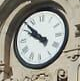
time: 9:52
